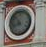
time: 10:42
